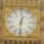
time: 12:31
